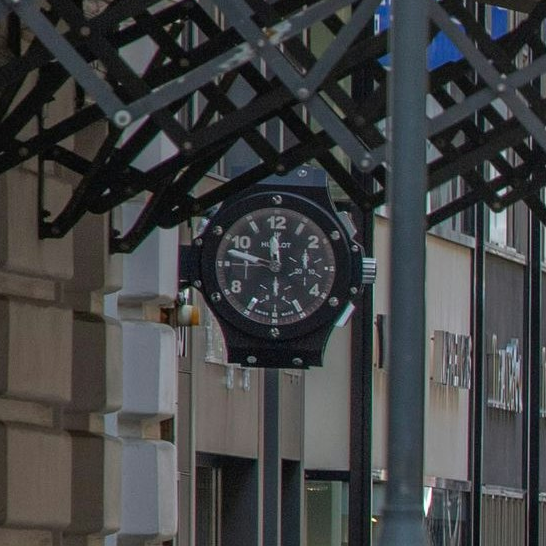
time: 11:47
